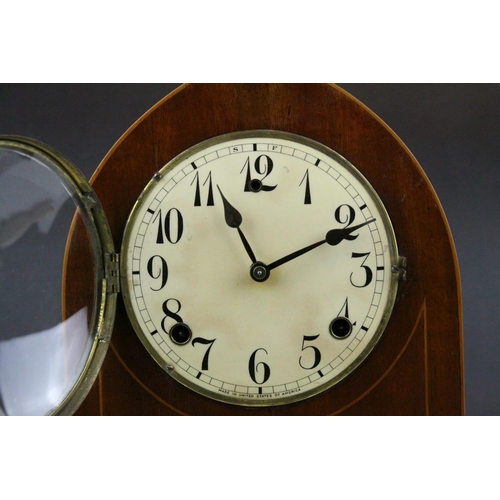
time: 11:10
